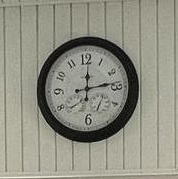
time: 12:13
